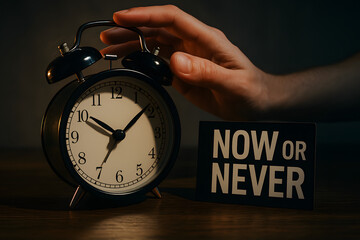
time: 10:07
